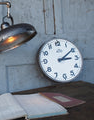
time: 3:09
